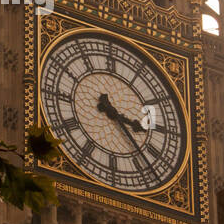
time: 3:22
